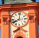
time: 8:01
